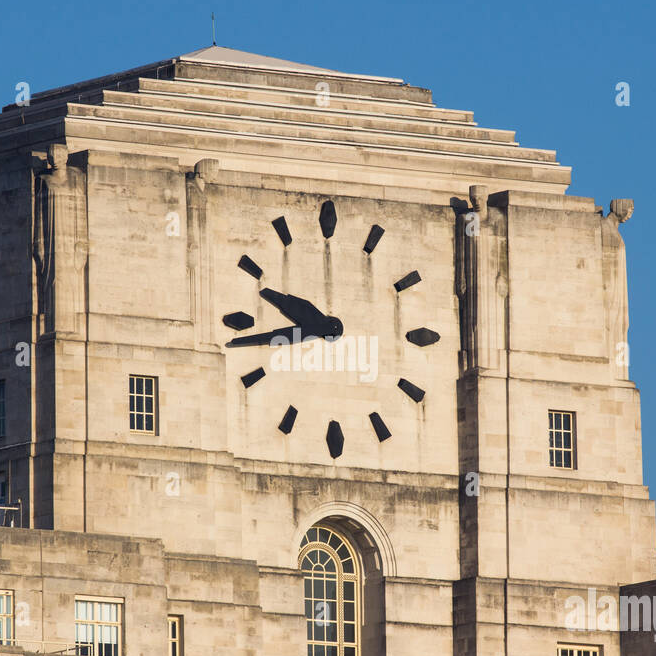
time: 9:43
